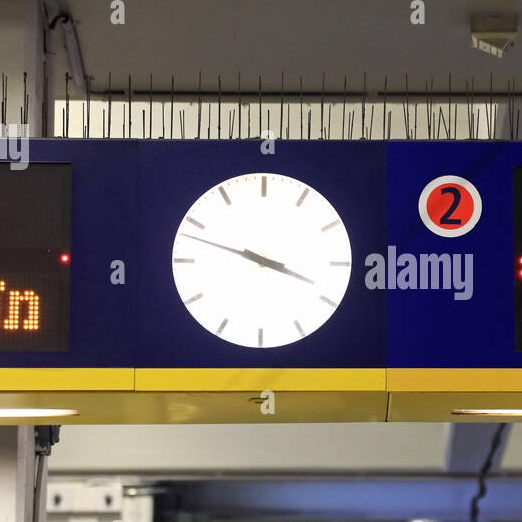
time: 3:48
